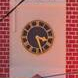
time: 3:26
